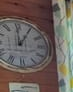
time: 12:05
